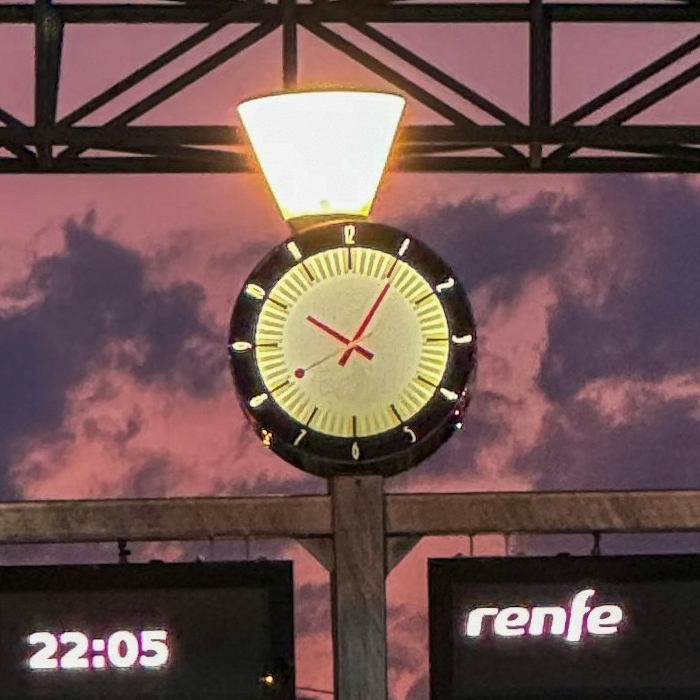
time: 10:05
